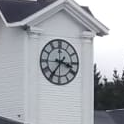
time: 3:35
